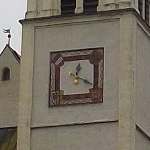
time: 12:19
